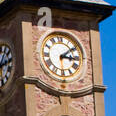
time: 3:09
